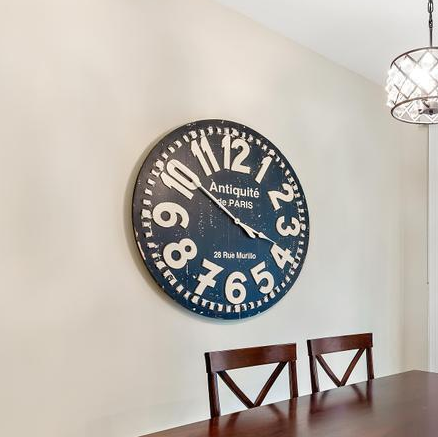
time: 3:51
